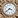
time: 3:38
